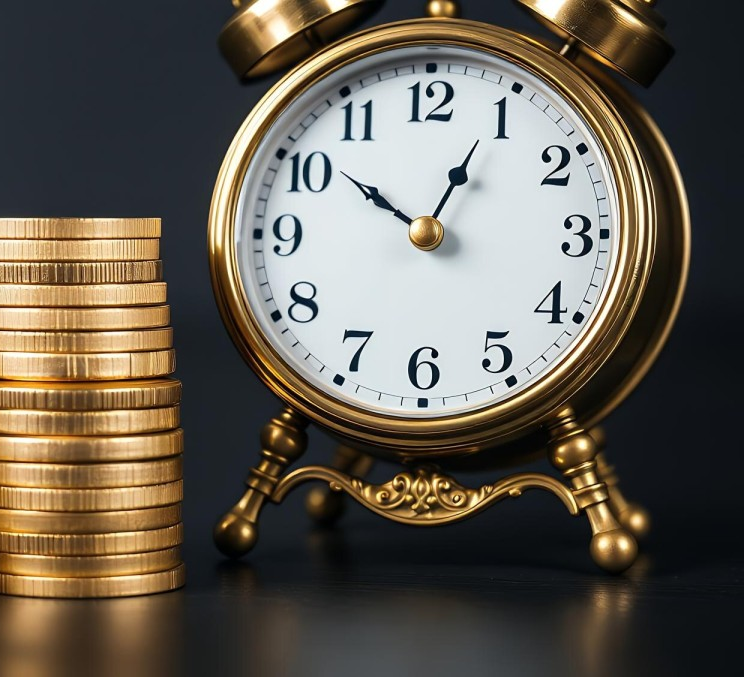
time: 12:51
